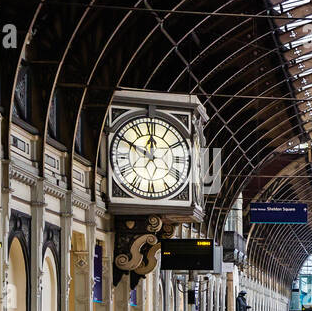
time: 11:49
